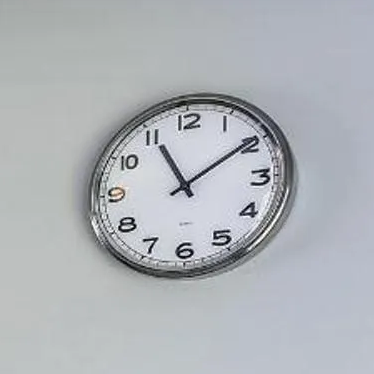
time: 11:09
